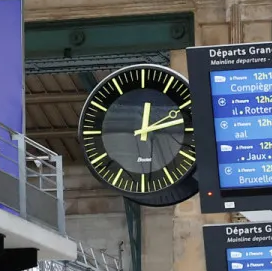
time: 12:12
